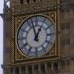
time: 12:57
